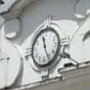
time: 11:25
